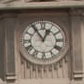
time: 12:54
